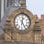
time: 12:24
